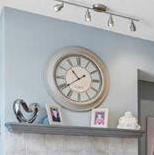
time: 10:39
